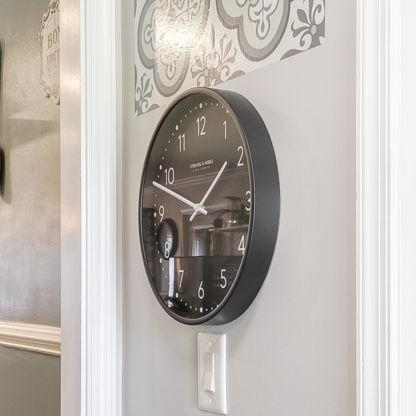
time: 1:48
